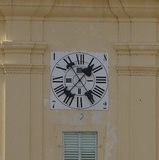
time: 1:36
